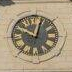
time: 10:02
